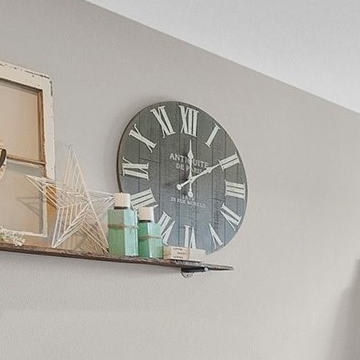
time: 12:09
